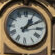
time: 1:10
